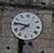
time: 7:46
